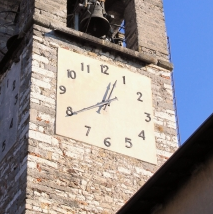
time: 12:39
